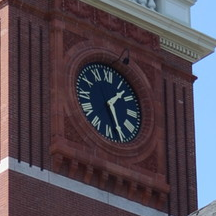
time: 1:26
